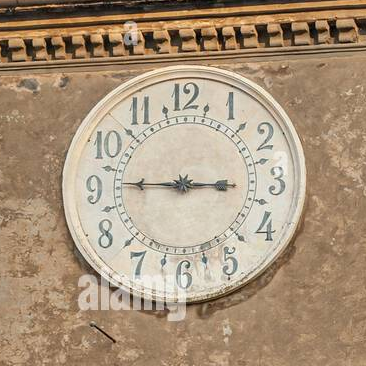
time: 2:45
